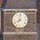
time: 8:01
